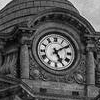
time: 5:09
